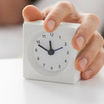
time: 11:48
